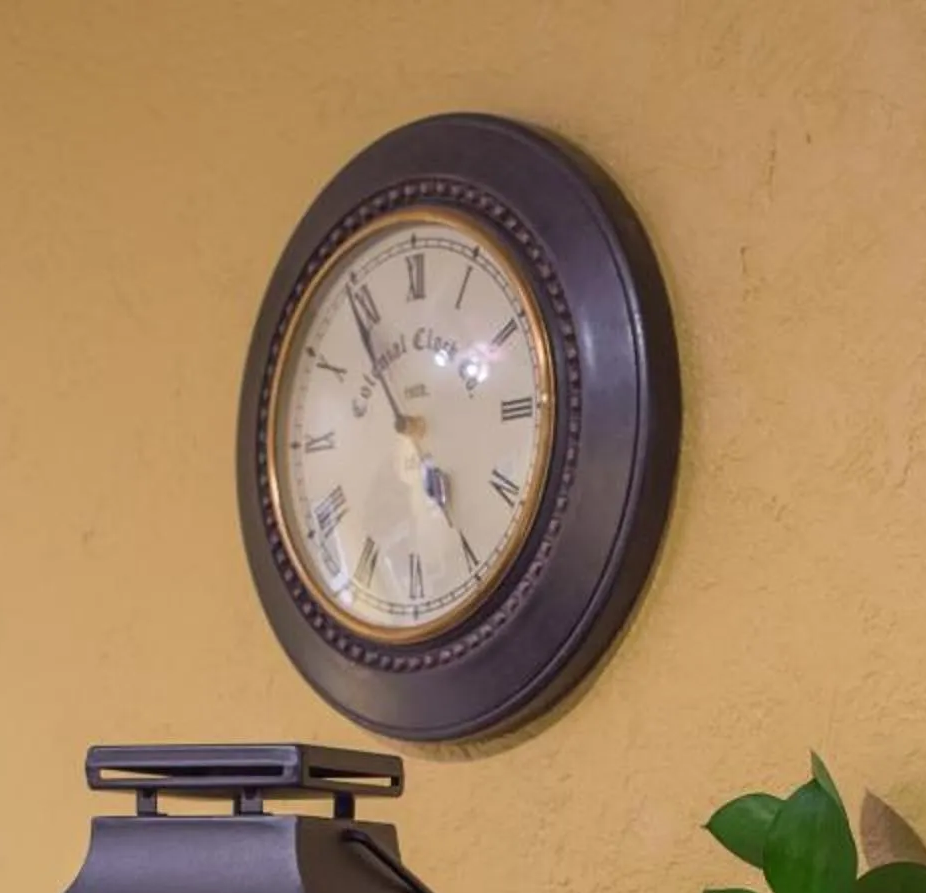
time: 4:54
